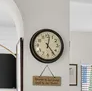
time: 12:23
